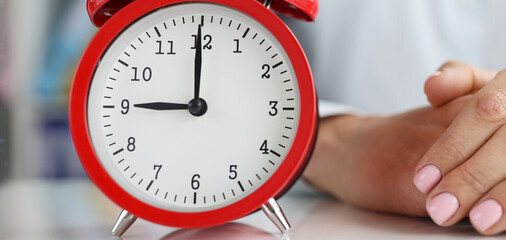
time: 8:59
